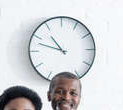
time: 10:47
